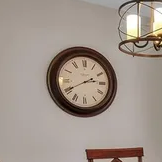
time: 2:40
